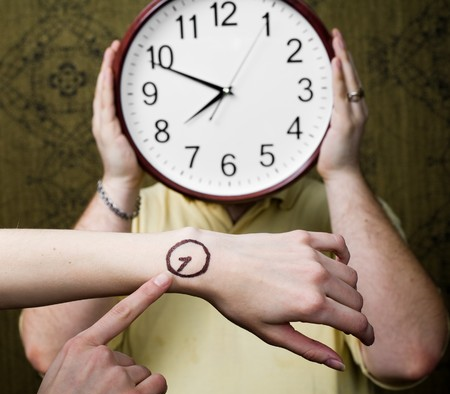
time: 7:48
